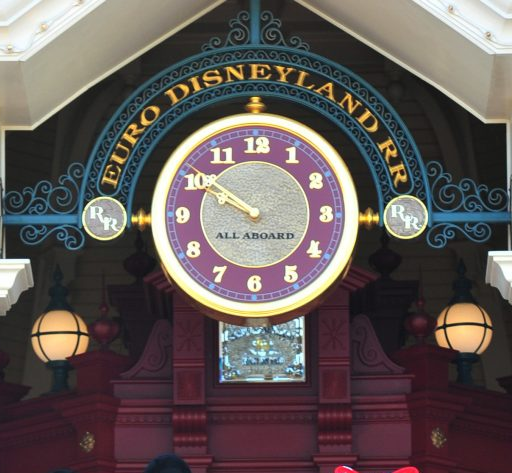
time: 9:50
